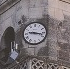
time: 9:17
